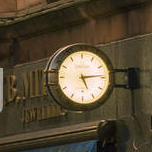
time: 5:14
